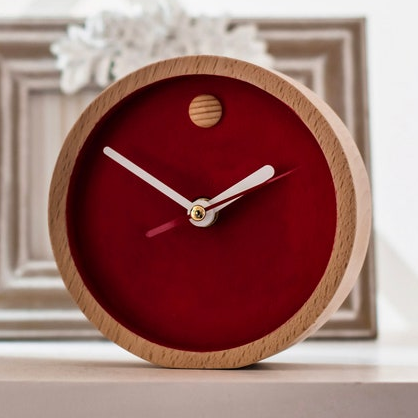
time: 1:50
